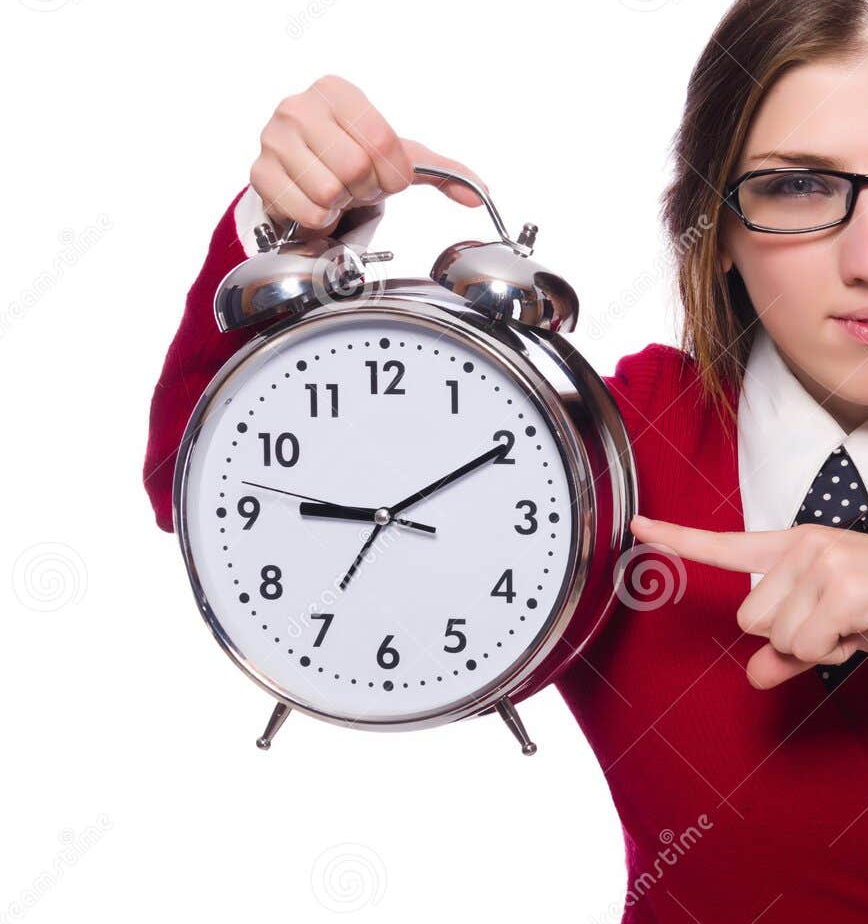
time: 9:10
